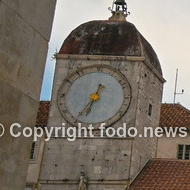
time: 6:35
